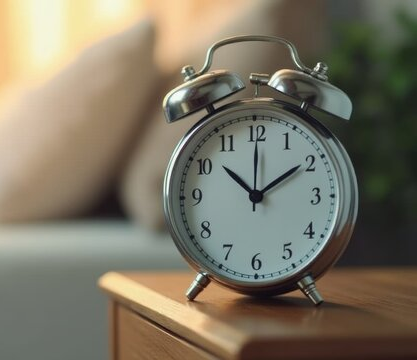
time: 10:09
